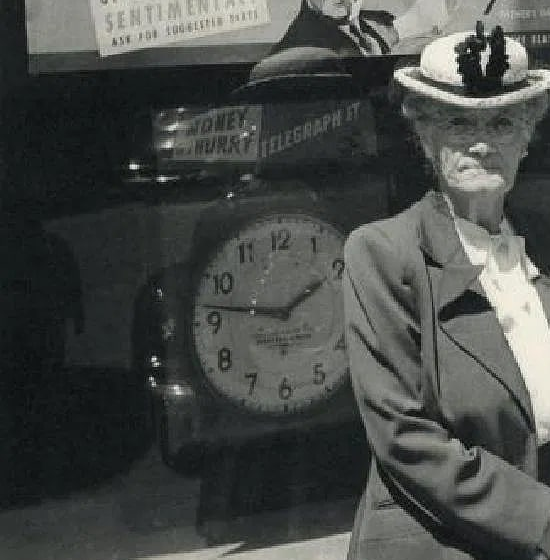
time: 1:47
